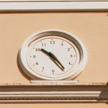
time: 10:24
